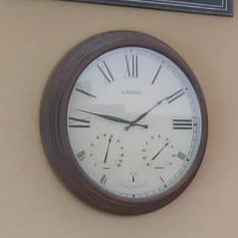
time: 1:46
